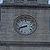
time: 8:41
